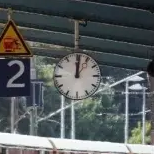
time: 12:01
